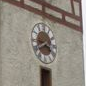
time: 3:40
